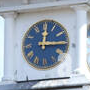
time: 12:14
